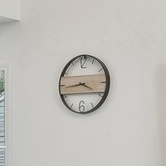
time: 3:43
